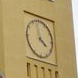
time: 3:58
